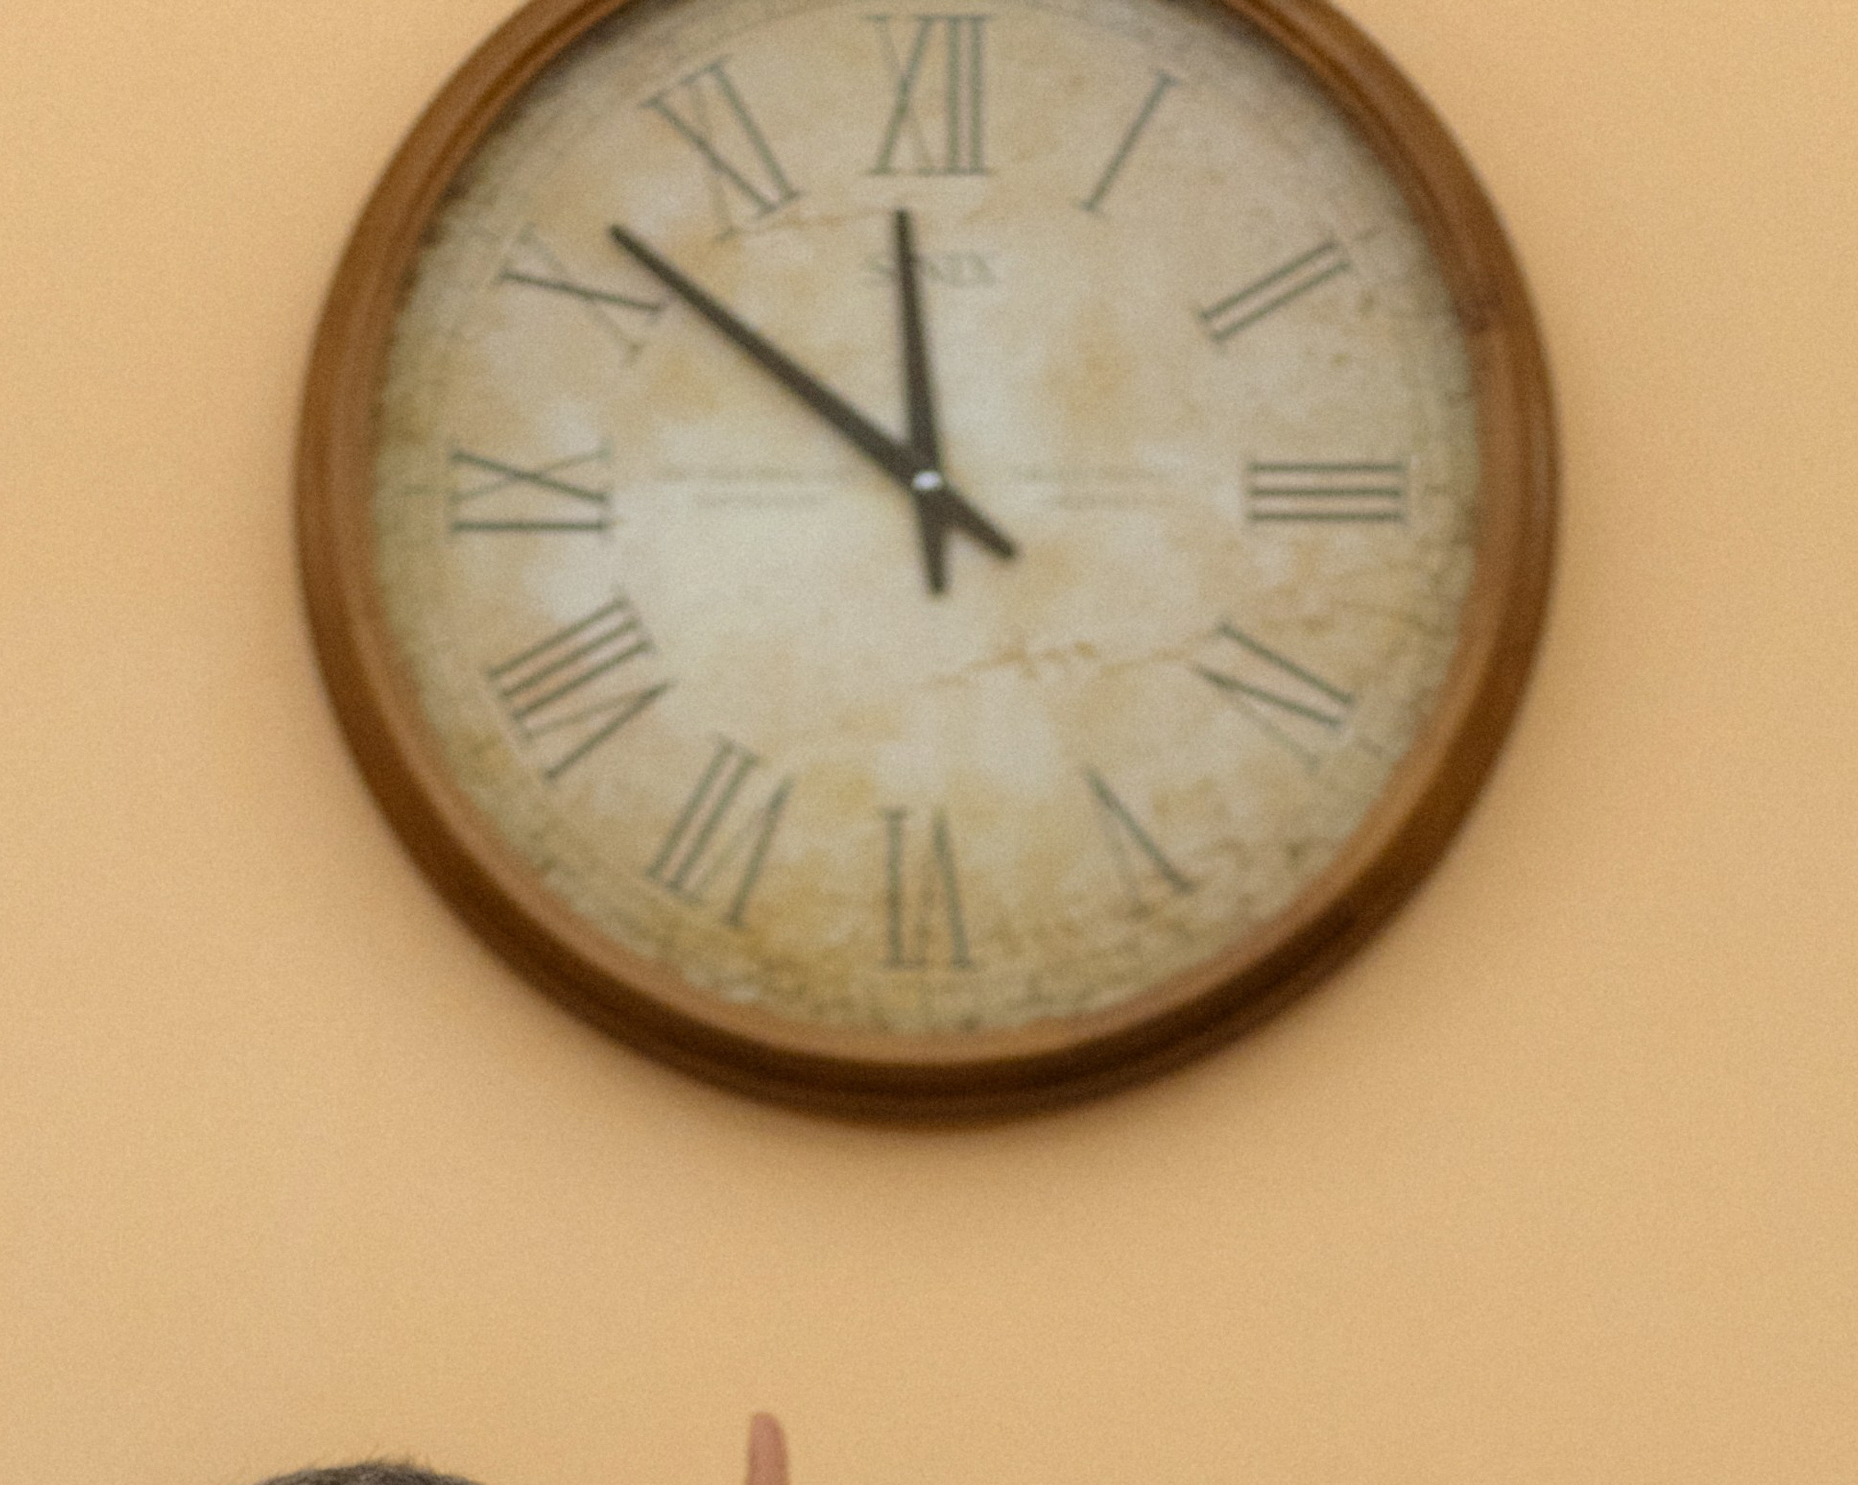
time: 11:51
